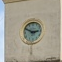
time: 2:49
